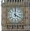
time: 4:00
